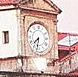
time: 7:32
